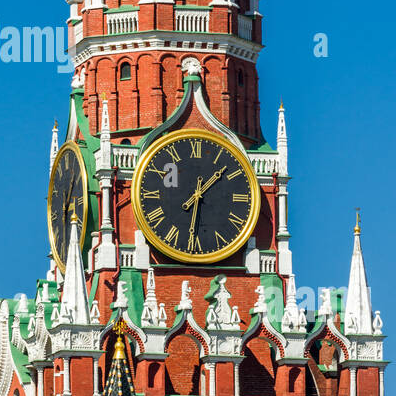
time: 1:31
